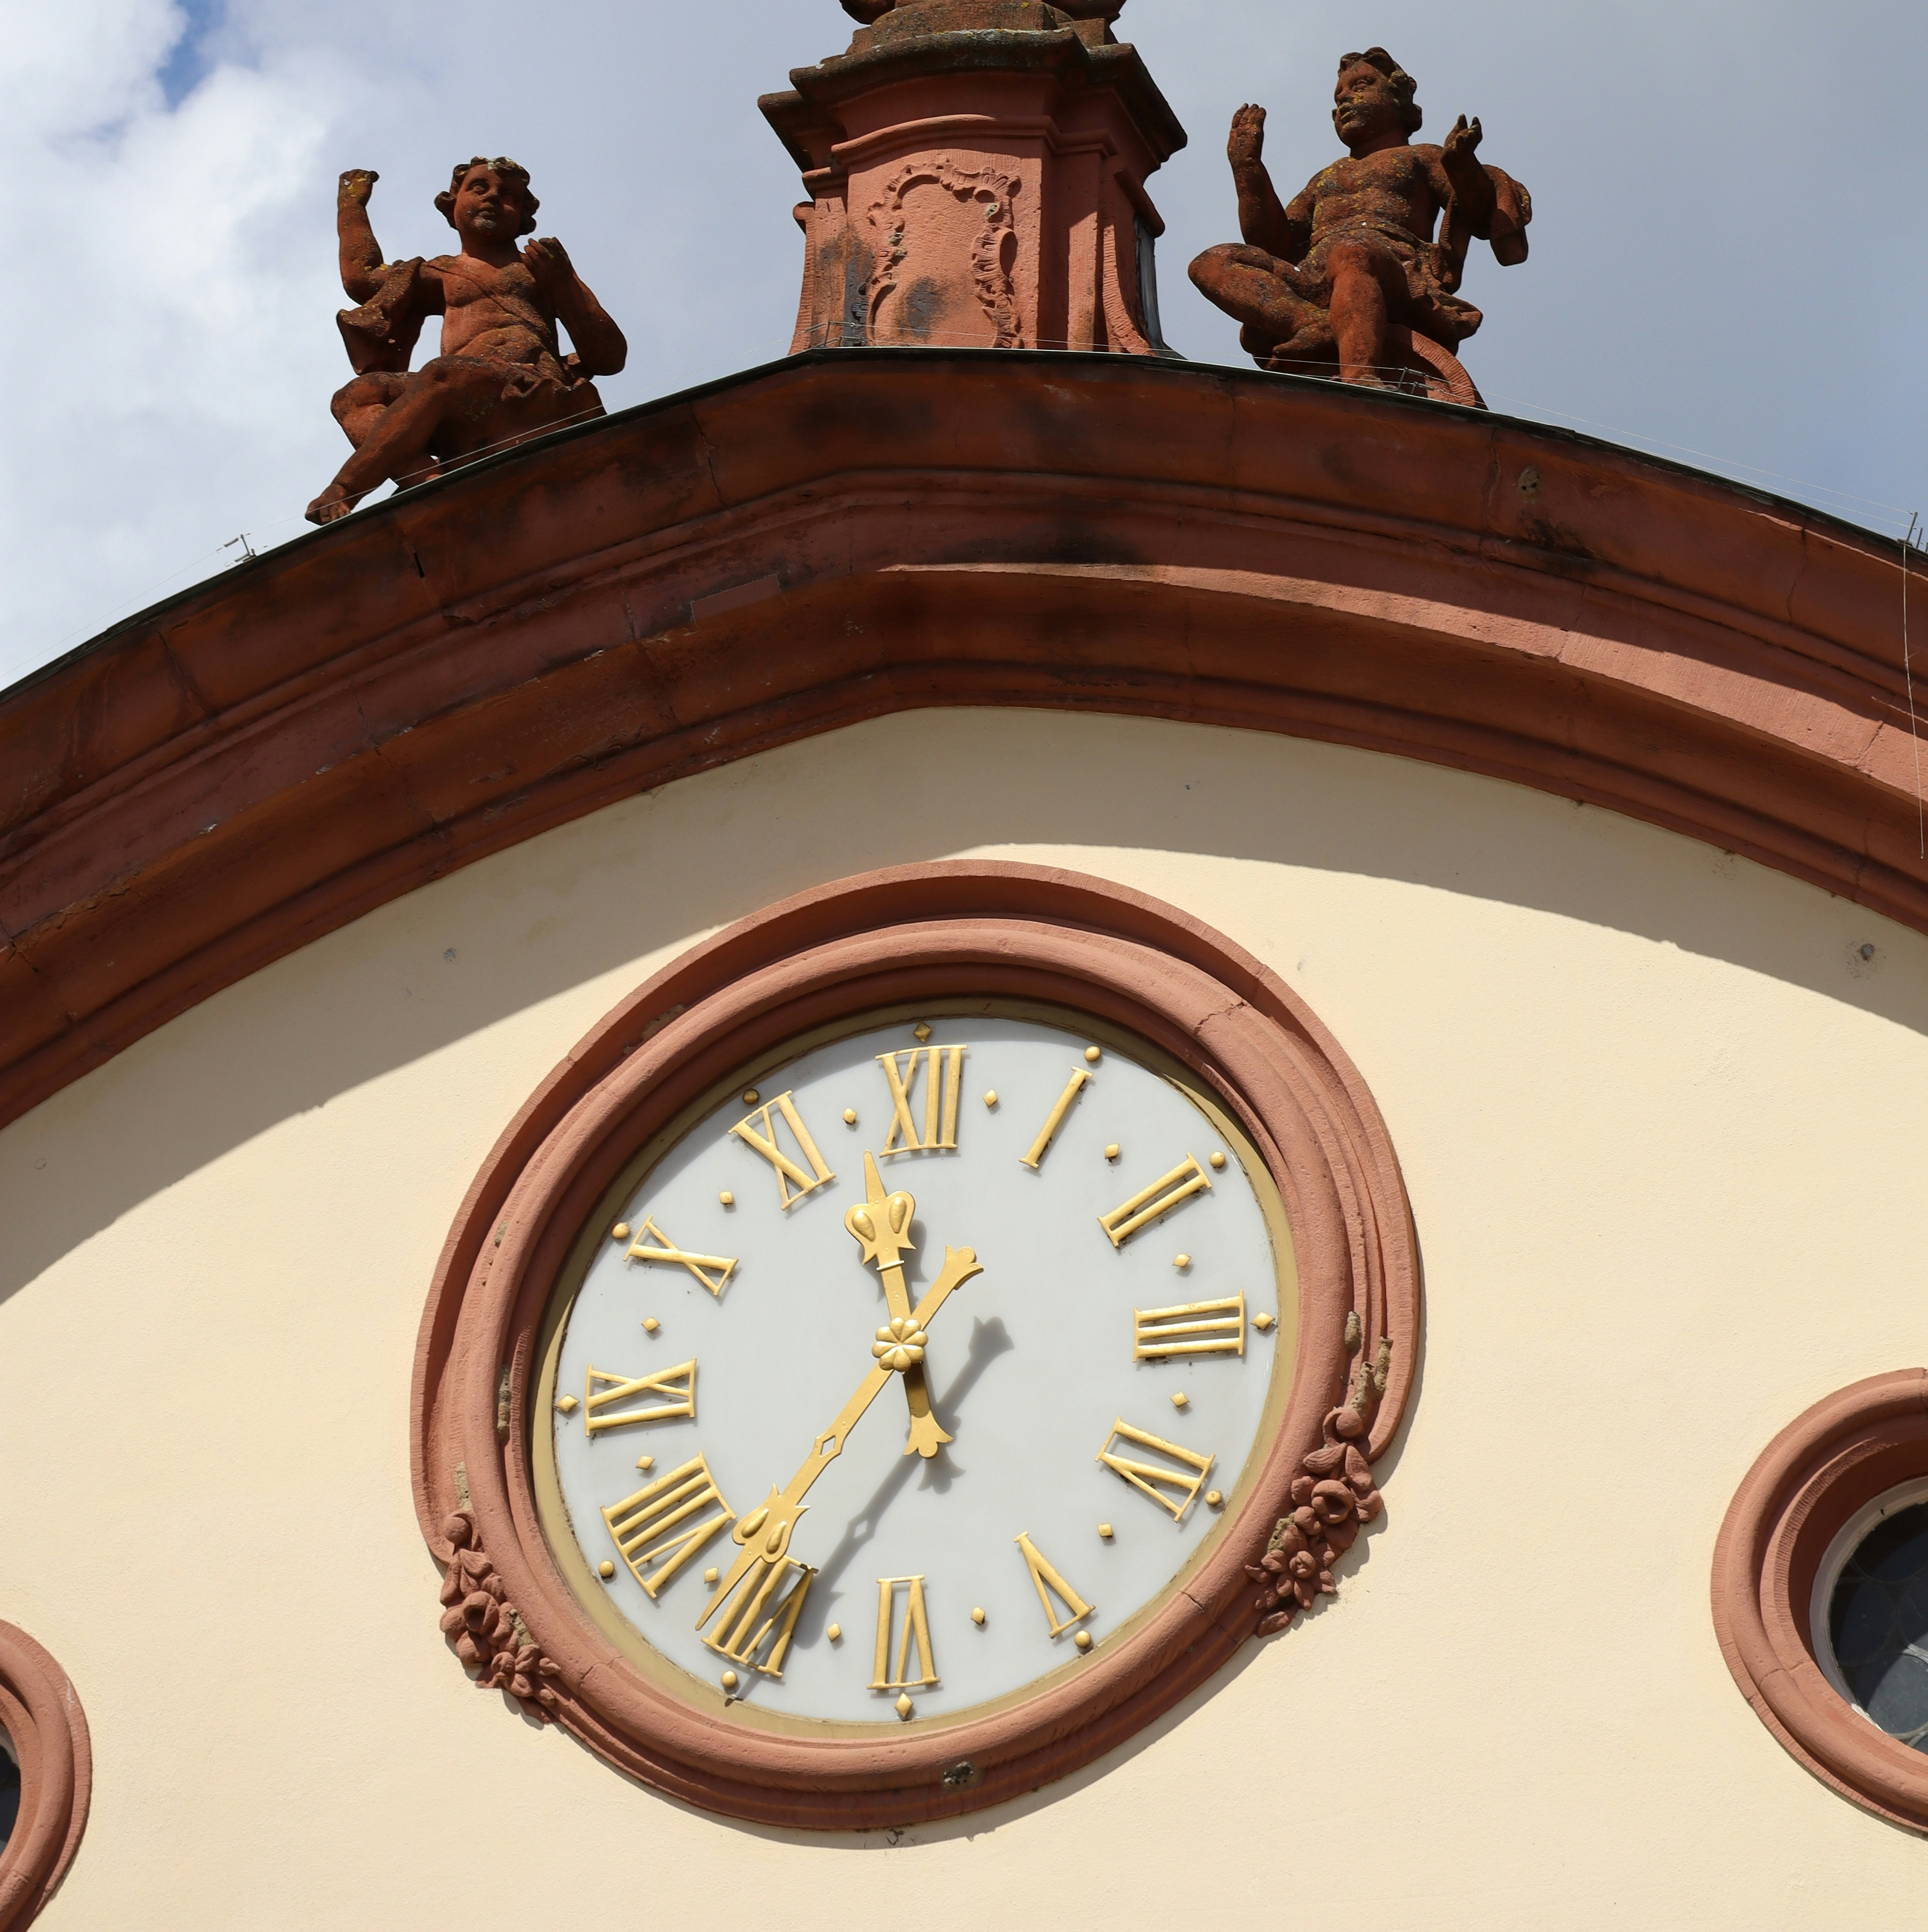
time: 11:35
